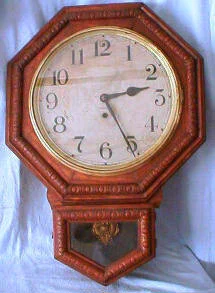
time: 2:25
